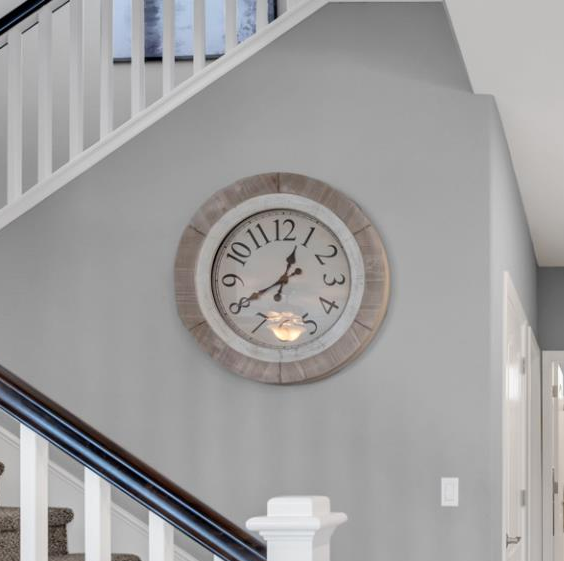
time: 12:40
